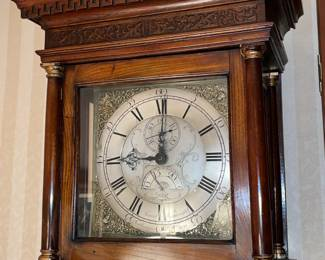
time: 9:00
